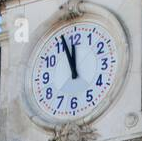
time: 11:56
